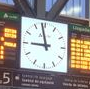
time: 8:58
